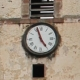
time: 4:56
